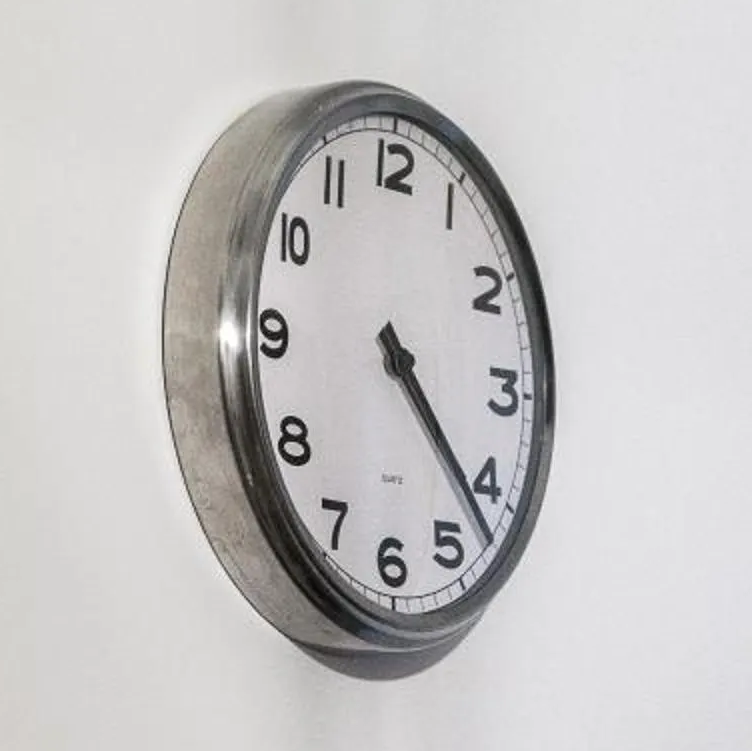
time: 4:22
